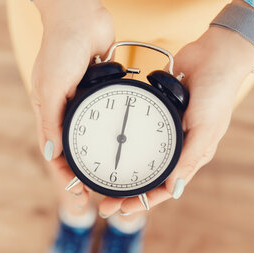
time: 6:00
